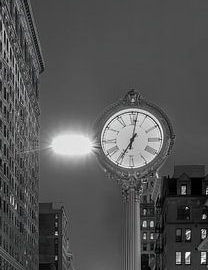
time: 7:01
